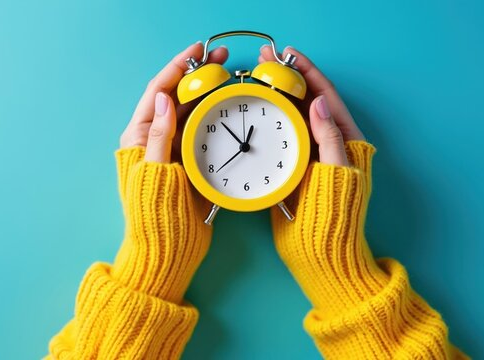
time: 12:52
